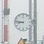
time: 8:46
